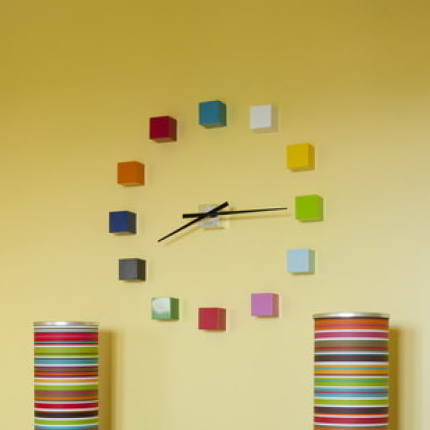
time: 8:14
